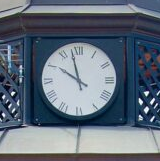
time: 9:57
